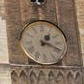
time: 1:18
